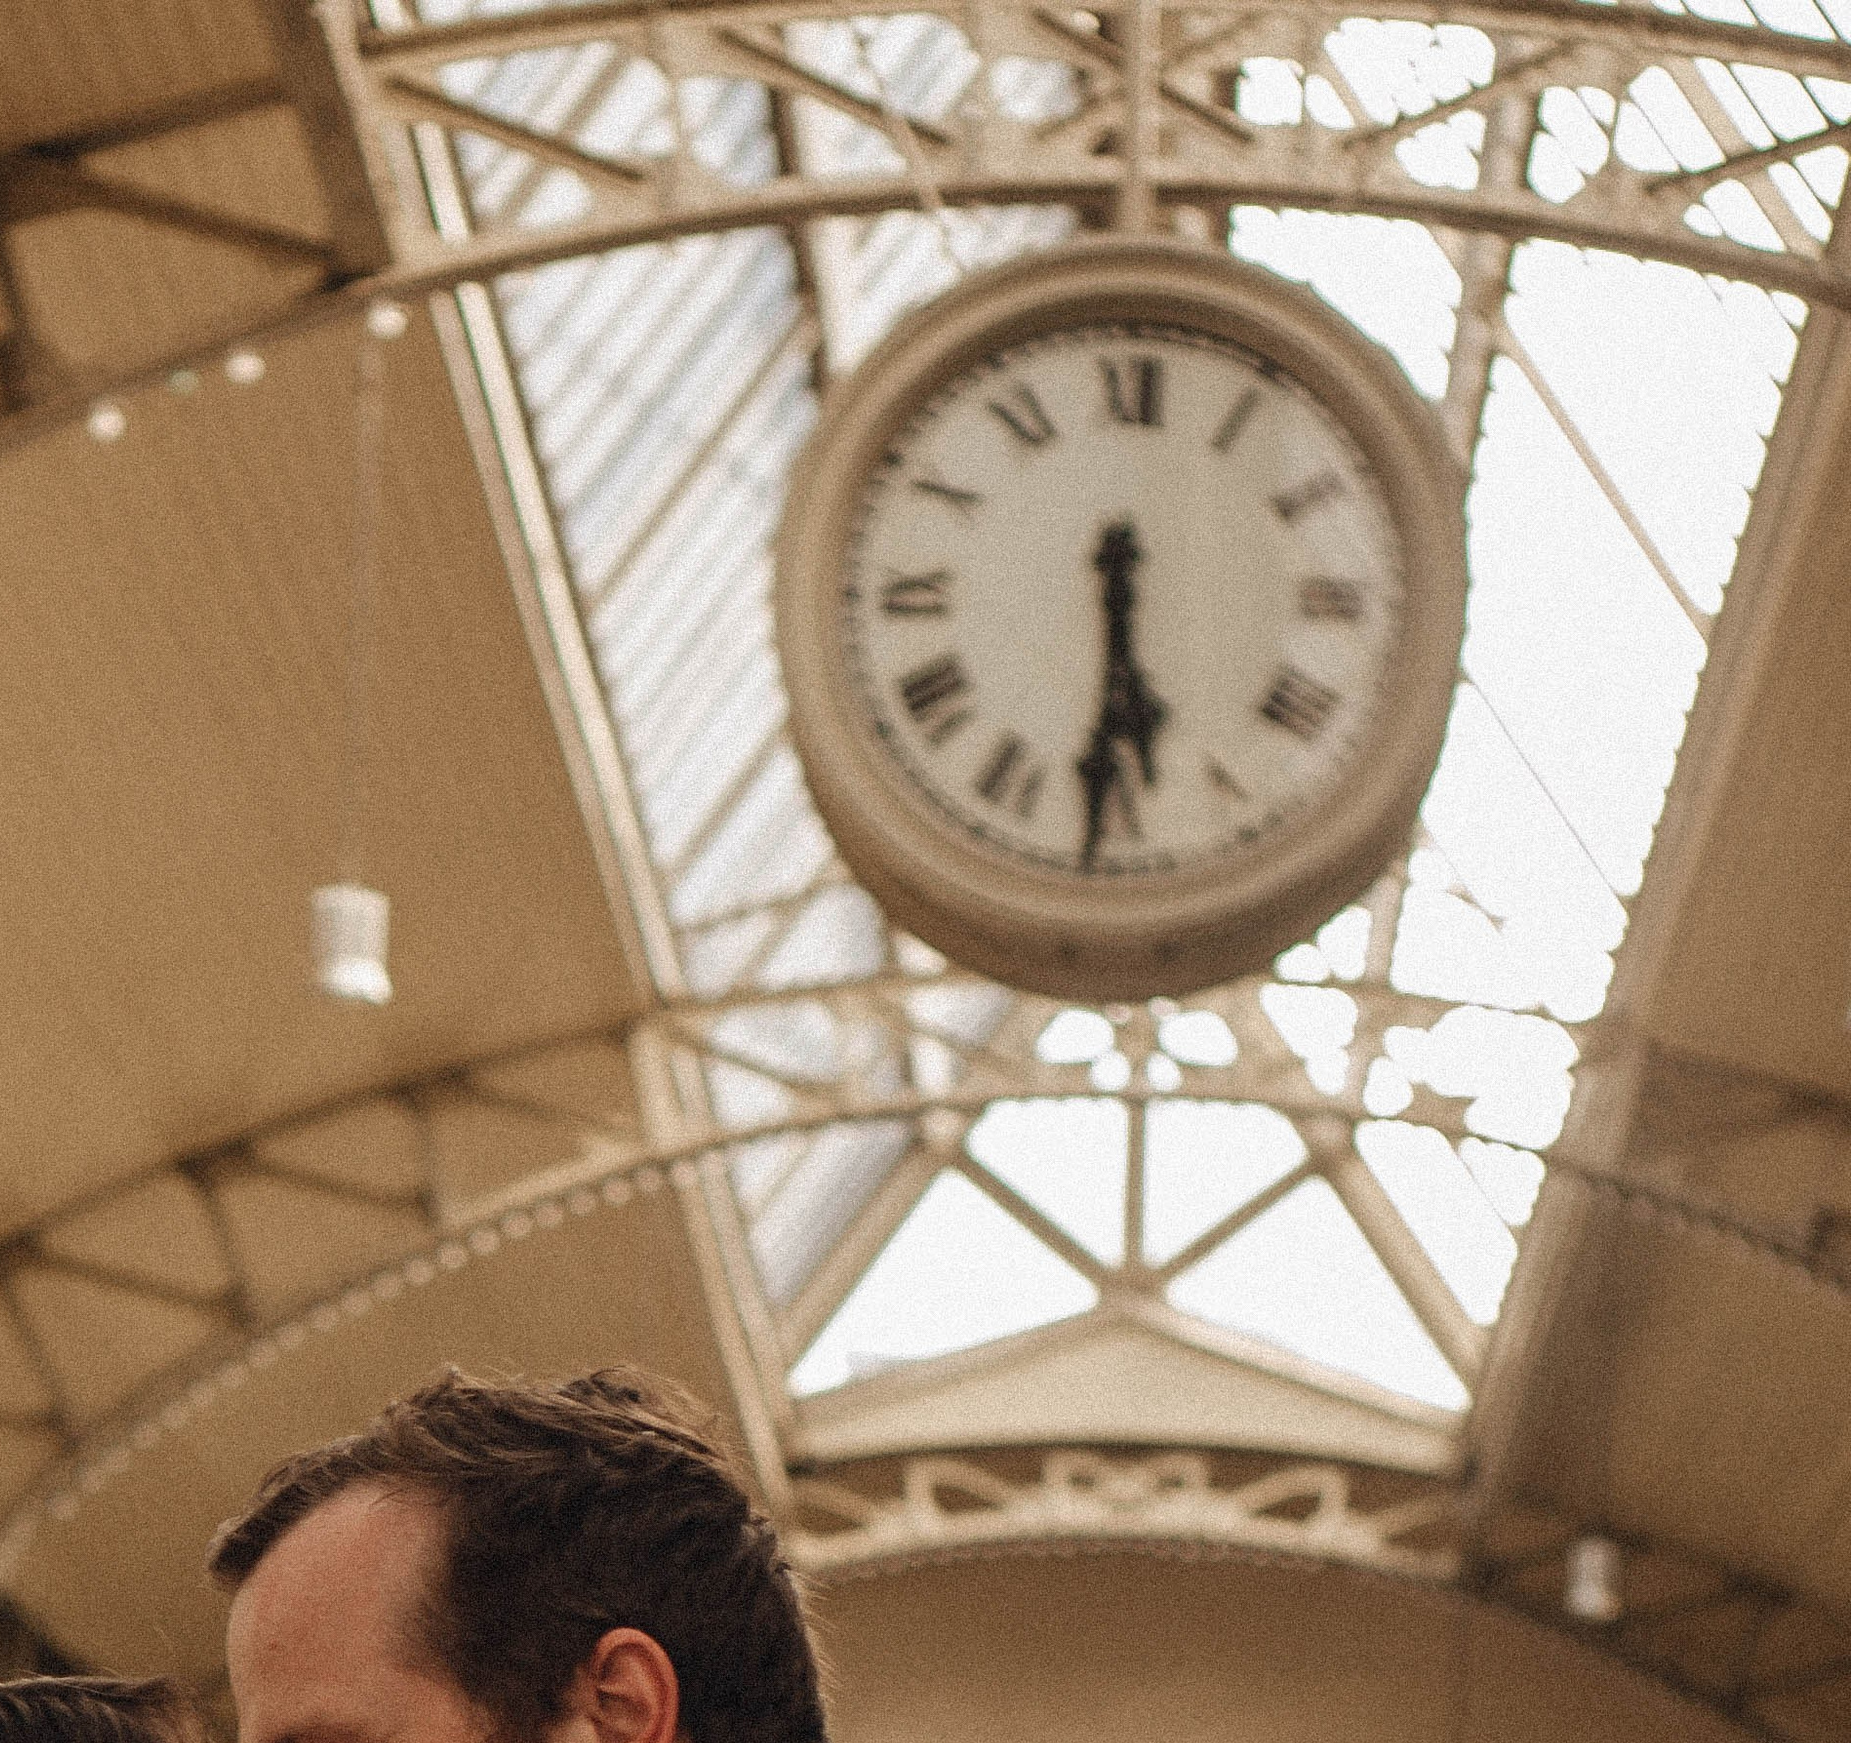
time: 5:30
